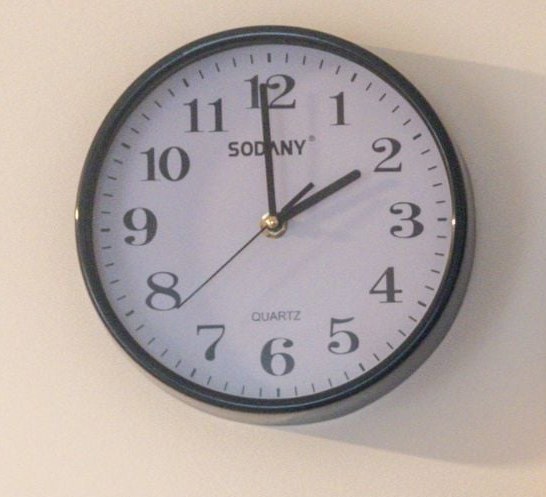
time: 1:59
